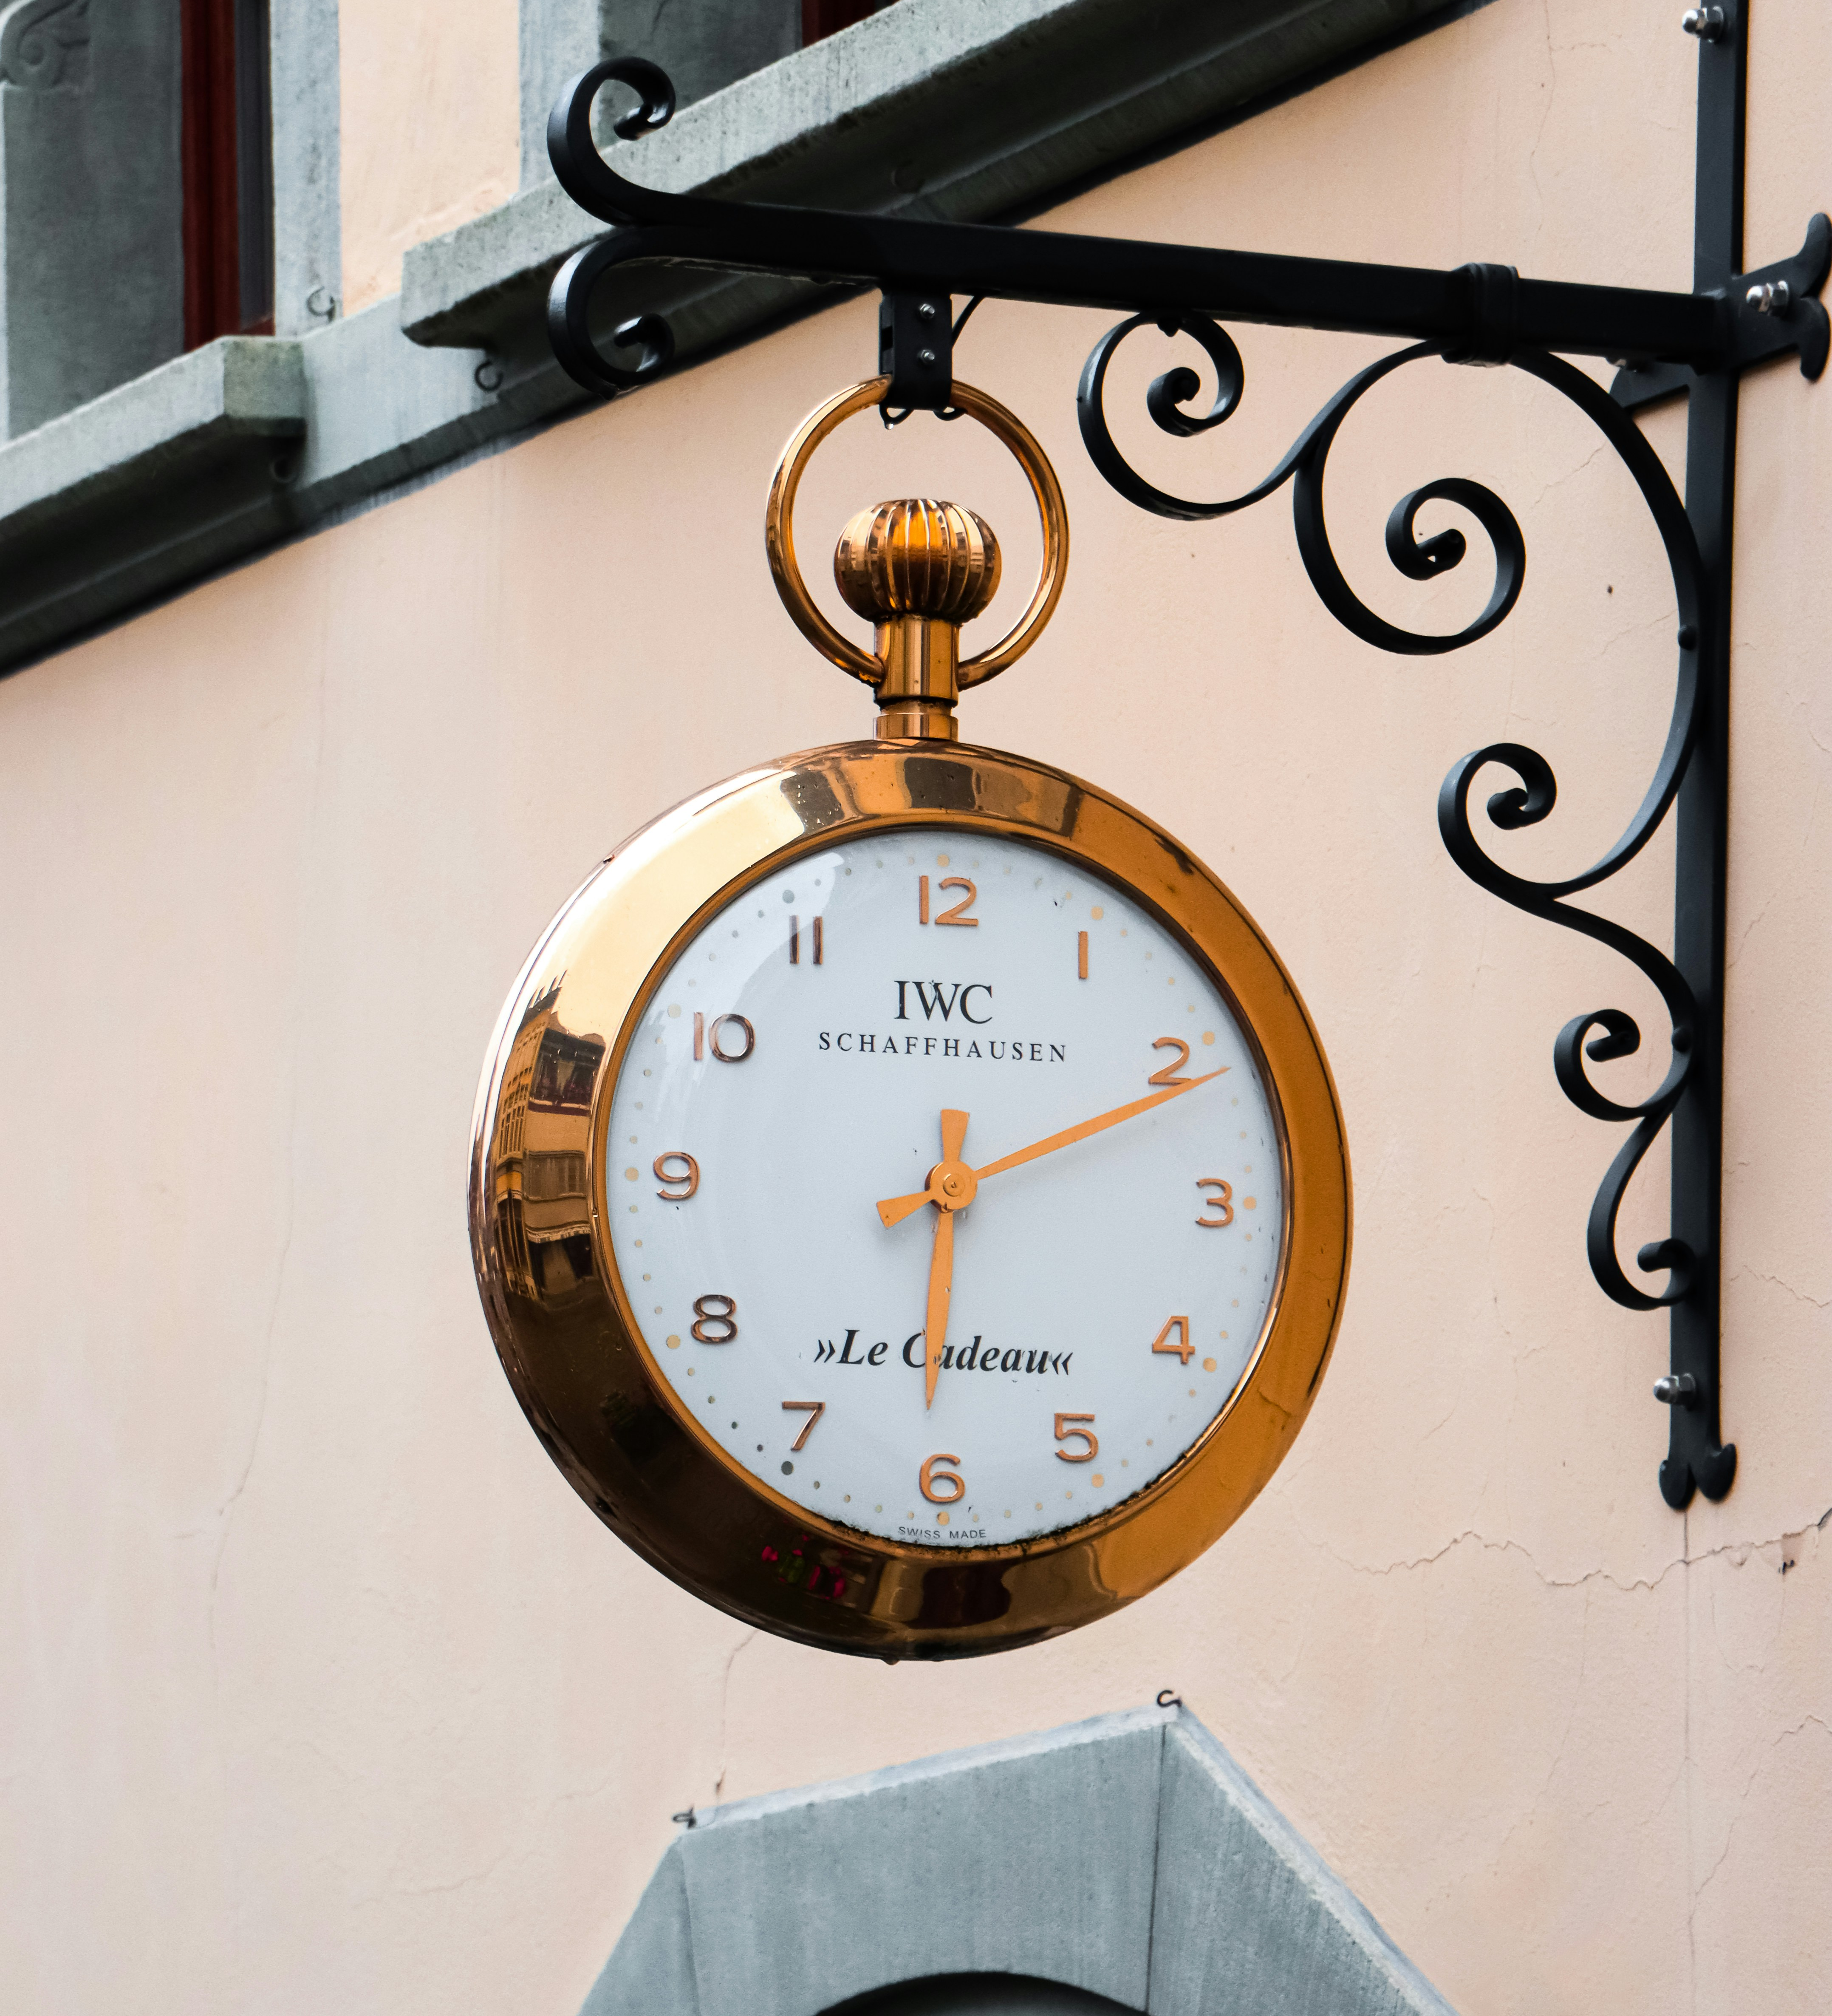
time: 6:10
